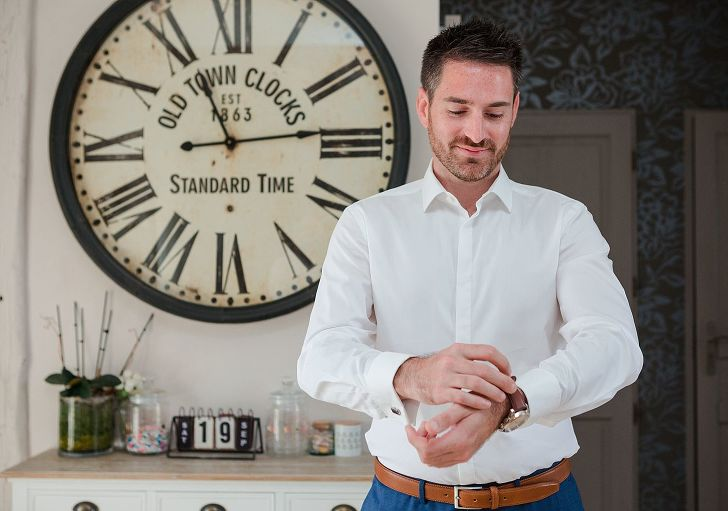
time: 11:13
